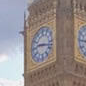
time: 9:17
